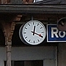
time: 12:19
